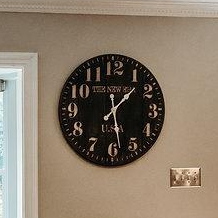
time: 1:28
